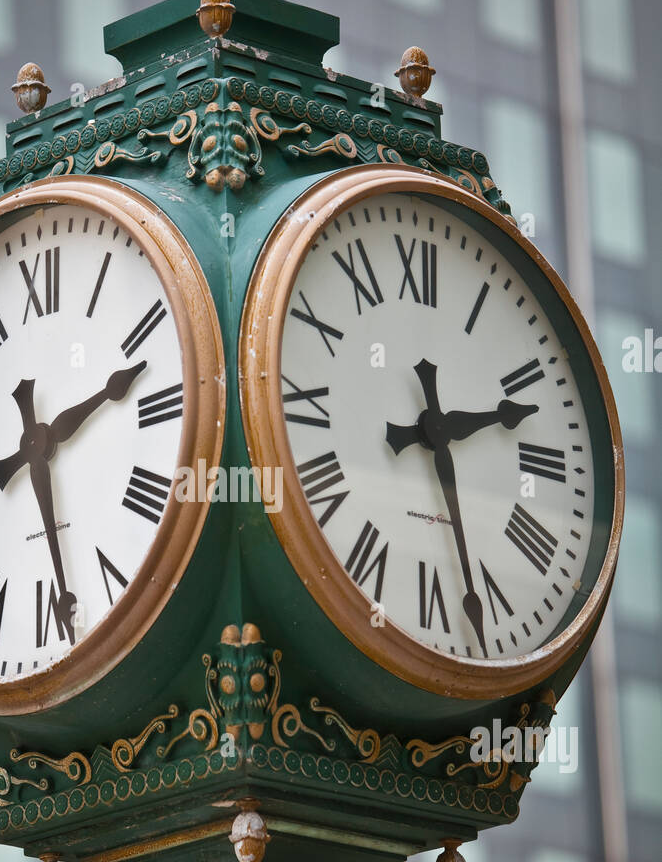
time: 2:27
